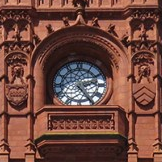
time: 2:23
